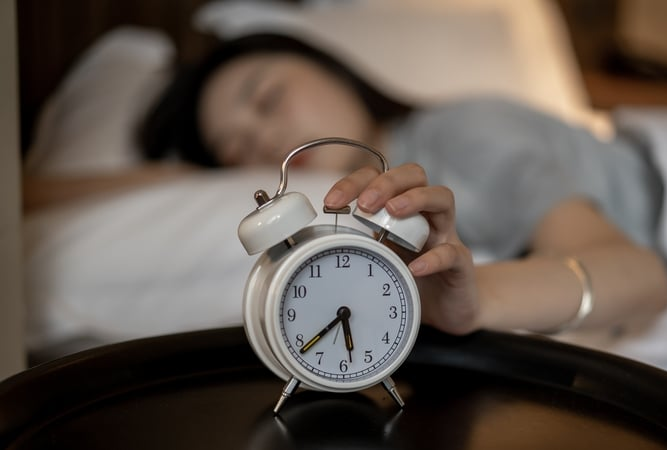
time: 5:38
